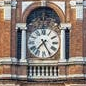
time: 7:25
